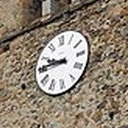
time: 9:45
